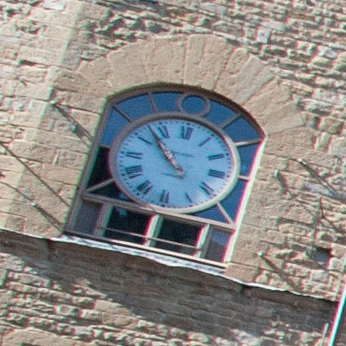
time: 9:52
